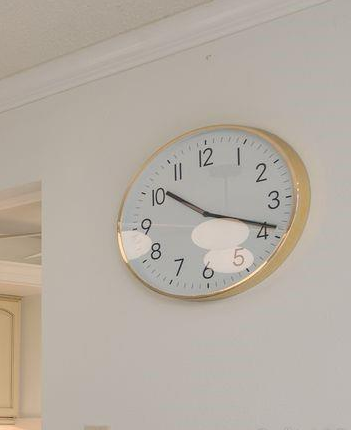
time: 10:18
